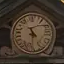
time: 4:29
